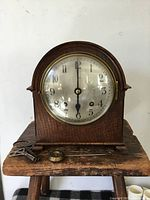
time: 5:59
